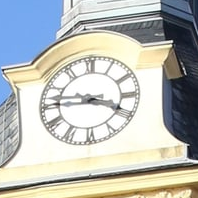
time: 3:46
